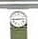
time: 2:44
